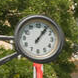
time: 1:06
